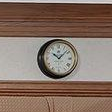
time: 10:07
